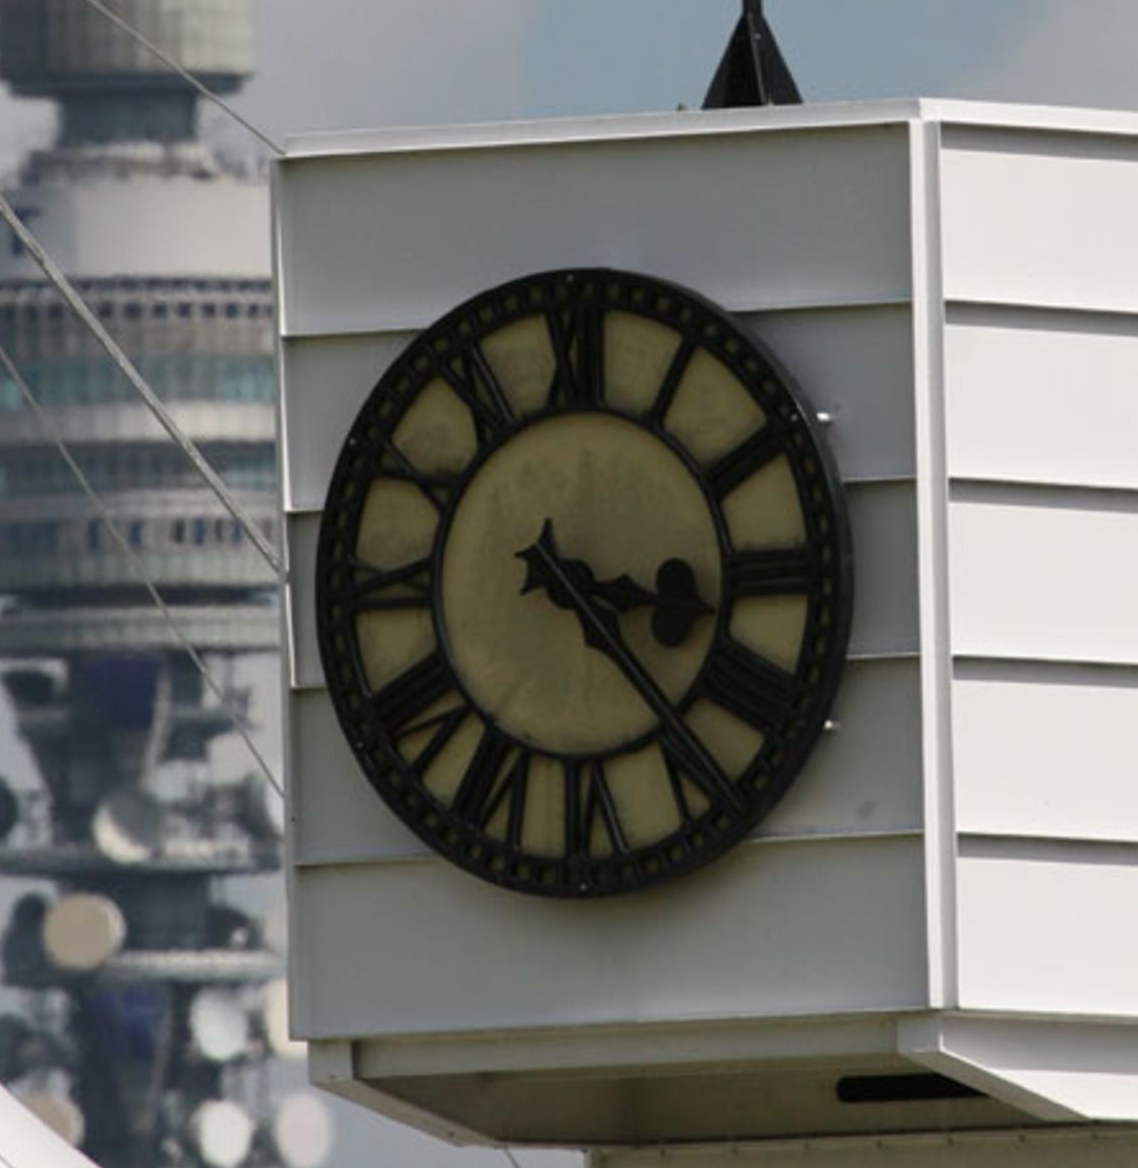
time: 3:23
